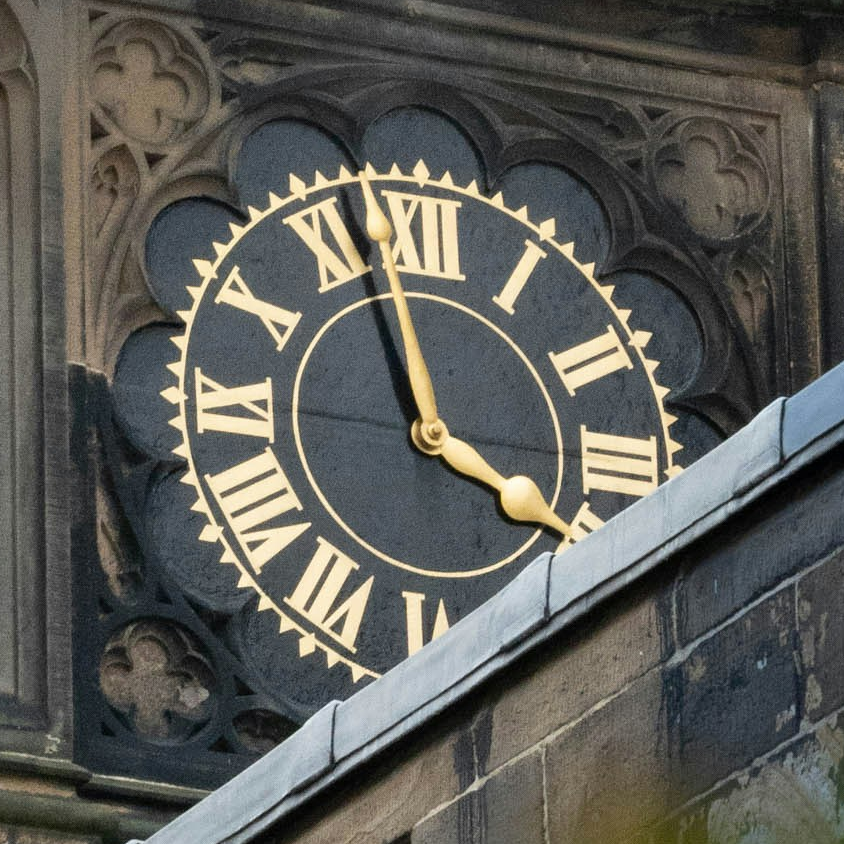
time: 3:57
